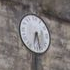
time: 6:27
